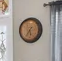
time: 5:35
